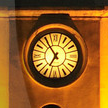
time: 6:54
